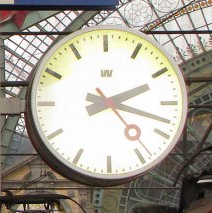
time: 2:18
